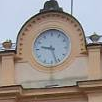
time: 9:27
